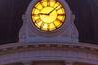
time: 9:07
